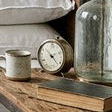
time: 2:22
